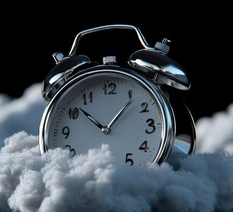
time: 12:52
